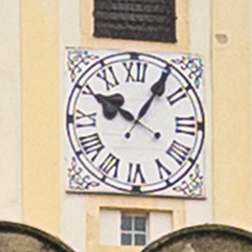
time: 10:06
